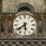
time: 5:38
